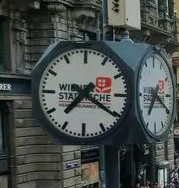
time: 7:20
